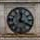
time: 12:19
